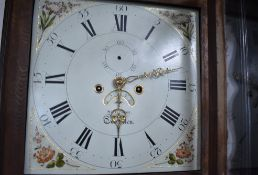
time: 6:12
